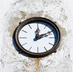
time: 12:10
